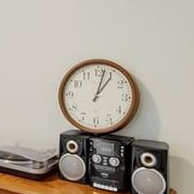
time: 1:02
